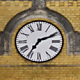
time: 7:10
